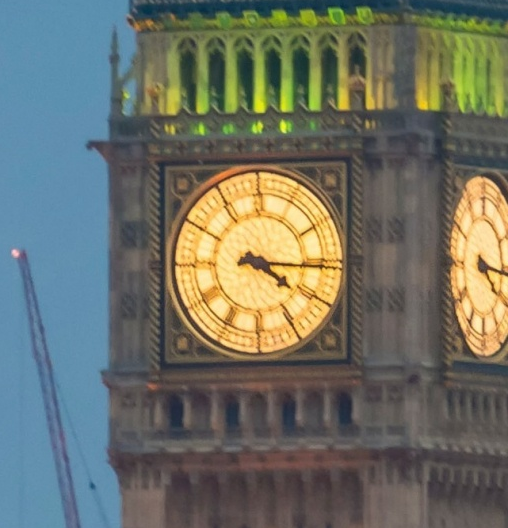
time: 4:15
